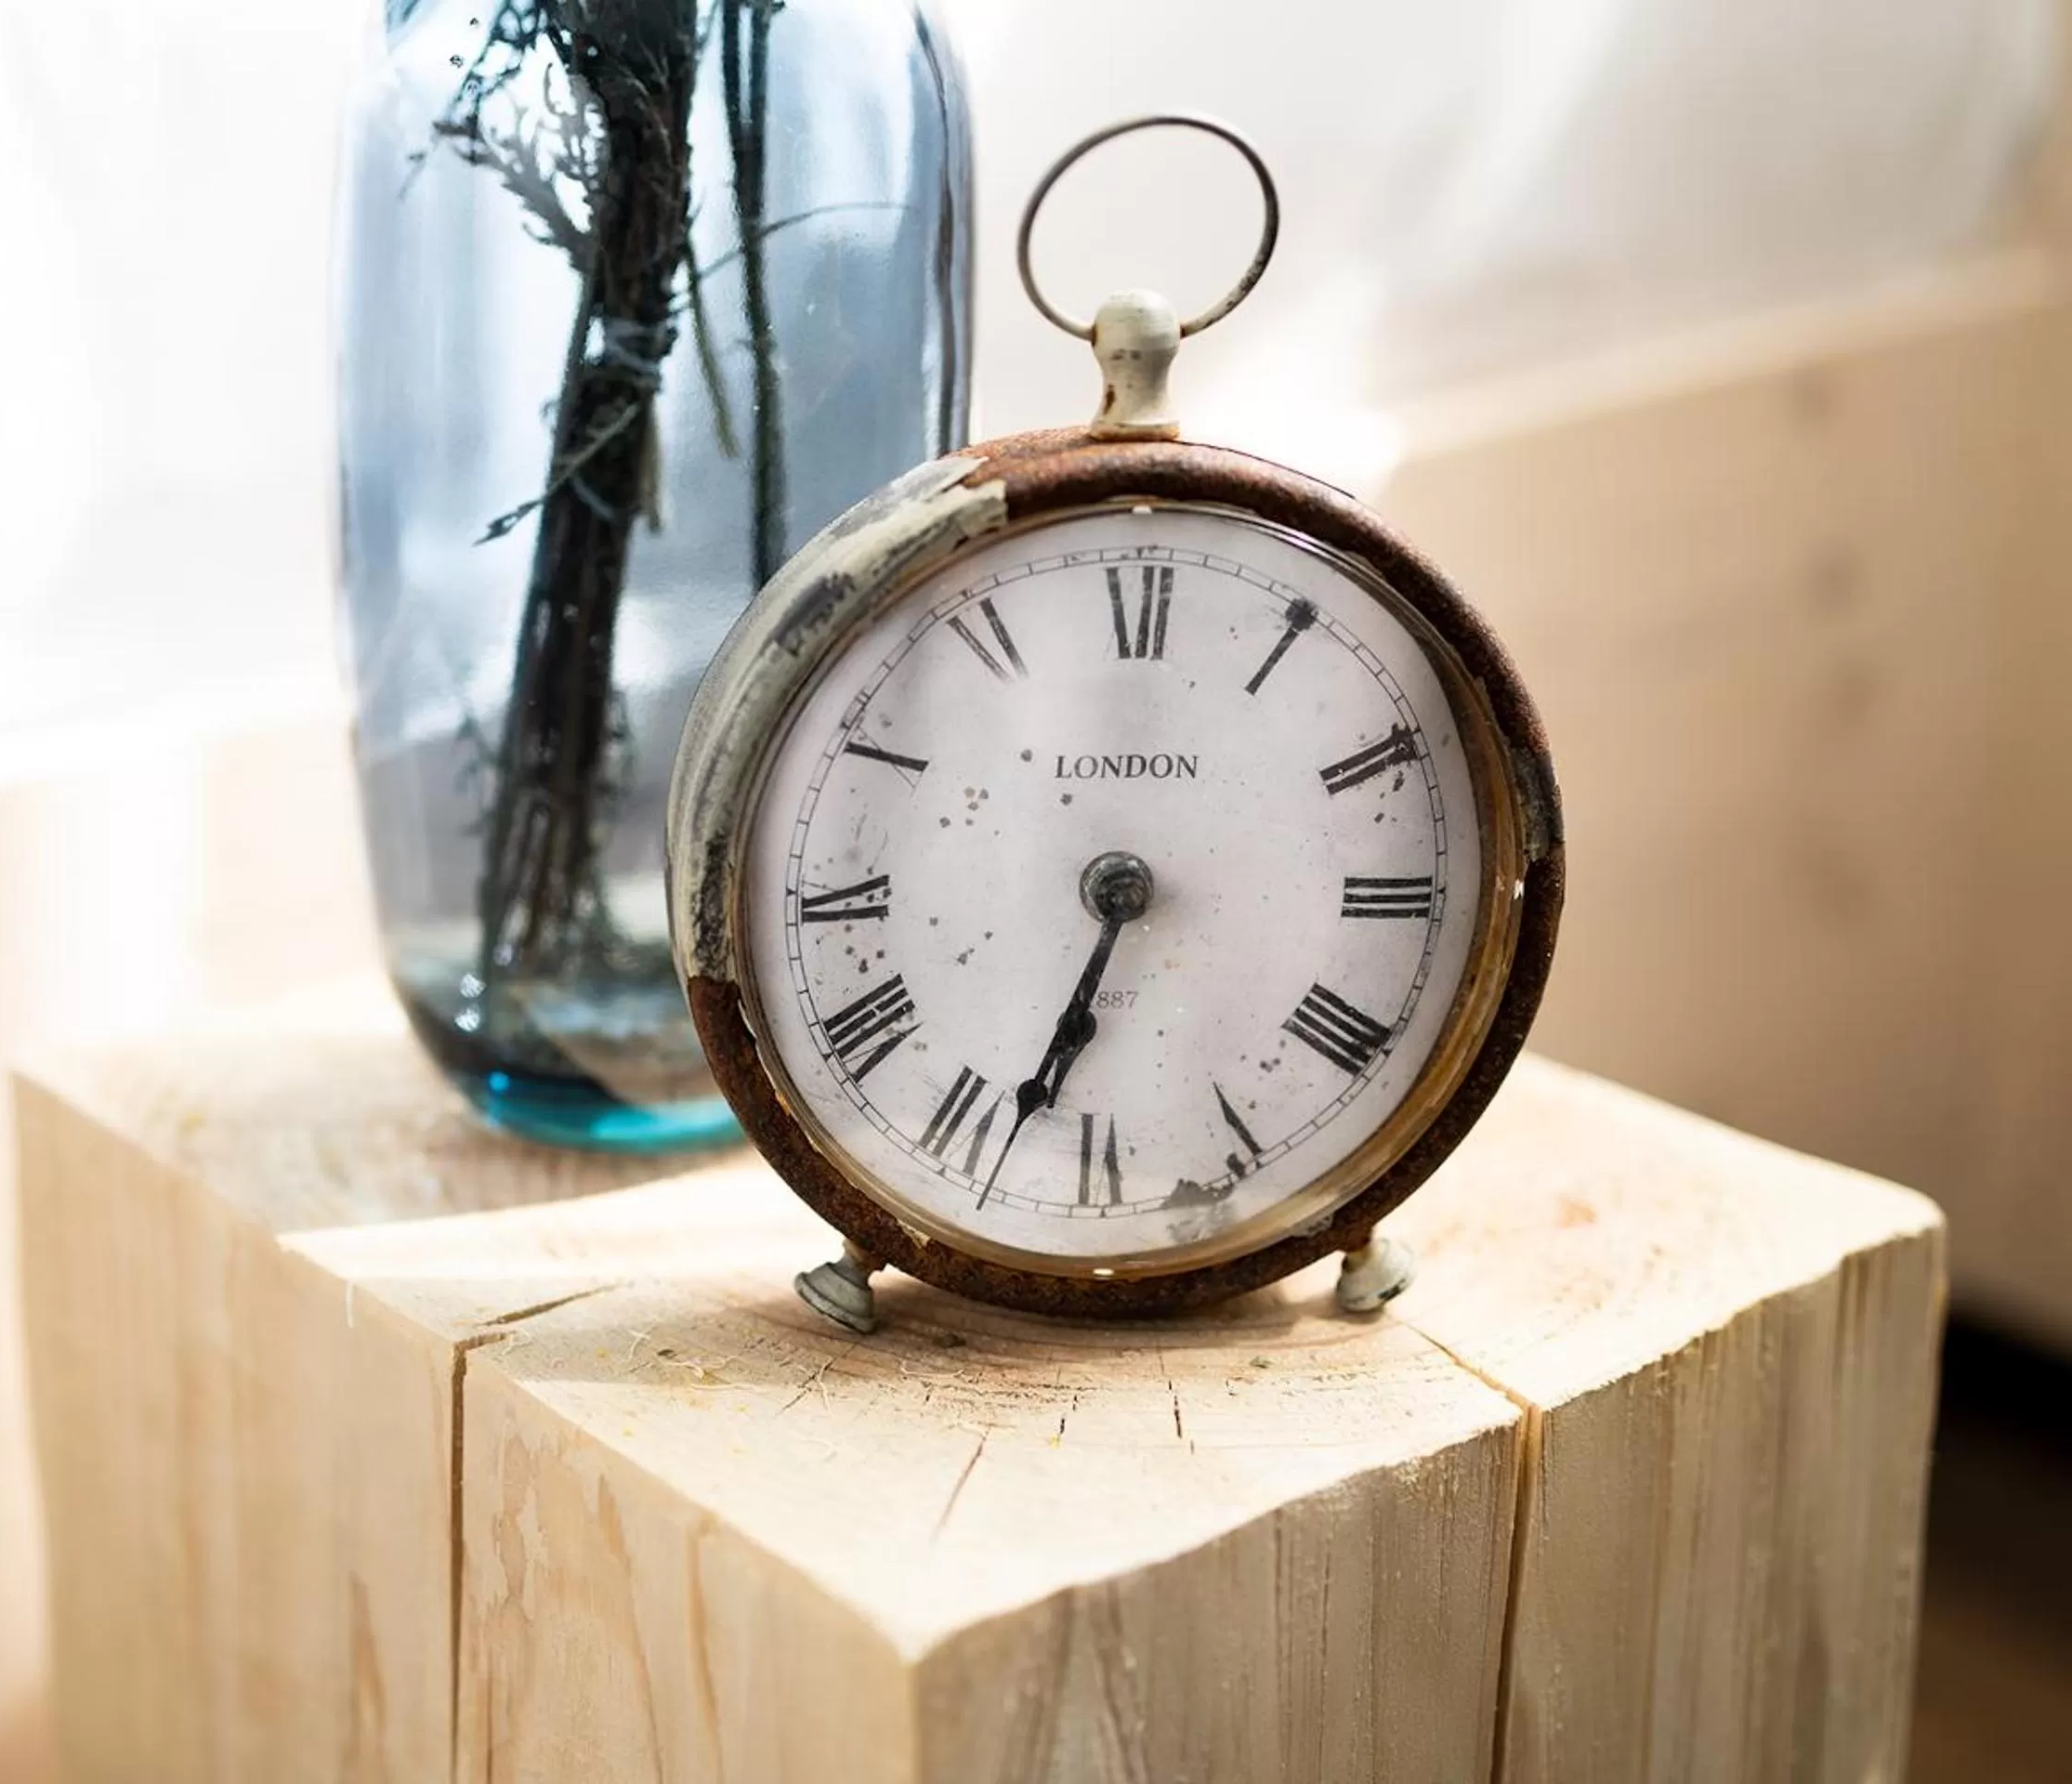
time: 6:33
